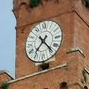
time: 7:23
